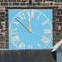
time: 11:51
